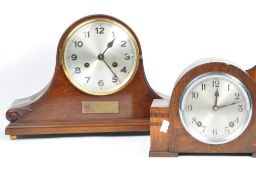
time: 1:23
